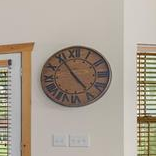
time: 4:54
